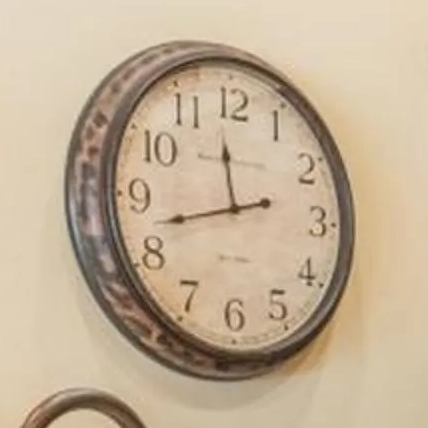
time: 11:42
